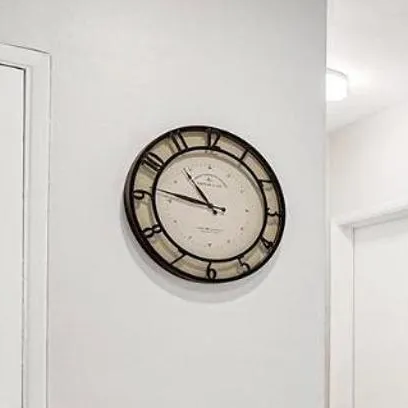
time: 10:46
